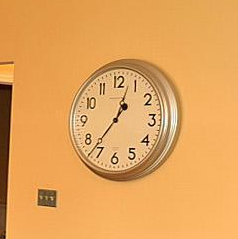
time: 12:36
